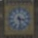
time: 3:28
